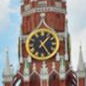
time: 1:24
